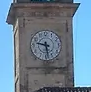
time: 9:28
